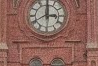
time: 3:00
